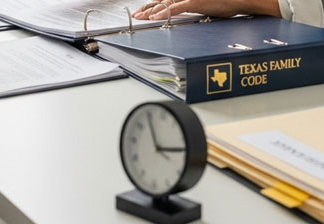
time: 2:54
